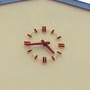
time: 4:43
